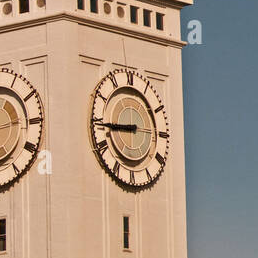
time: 8:44
